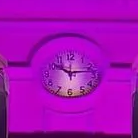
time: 10:13
